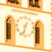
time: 12:32
